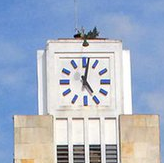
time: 5:01
